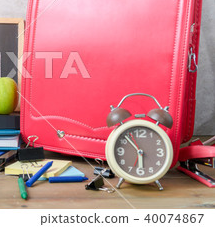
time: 5:53
